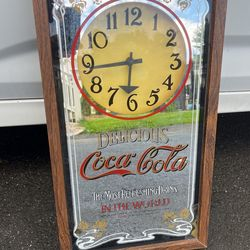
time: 5:44
